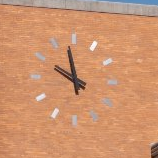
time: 9:58
